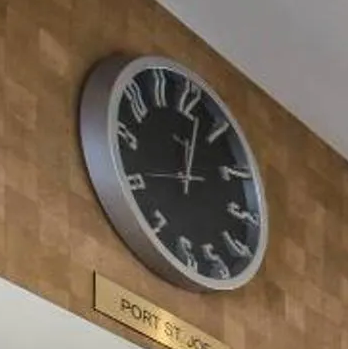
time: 12:02
